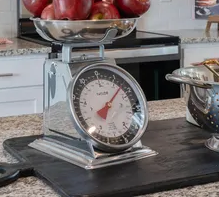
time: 7:07
